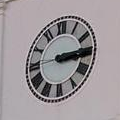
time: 3:14
